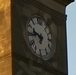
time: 9:45
